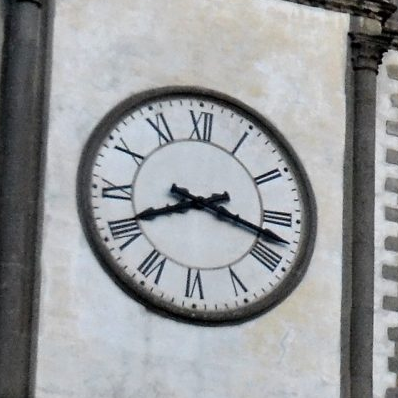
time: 8:17
